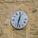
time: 12:32
